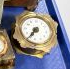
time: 7:36
